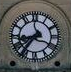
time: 8:36
